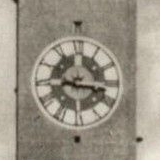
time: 8:16
